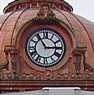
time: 2:54
